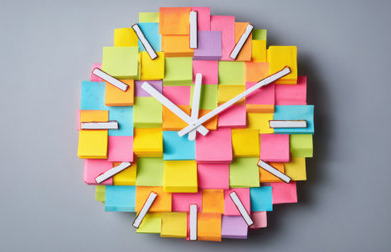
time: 12:09
